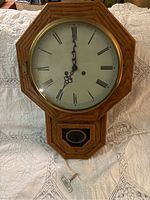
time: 7:00
